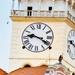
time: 9:20
